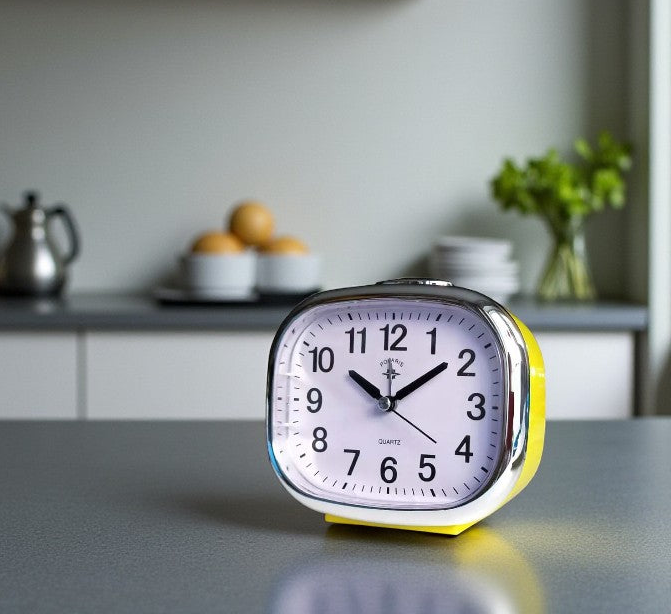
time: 10:09
